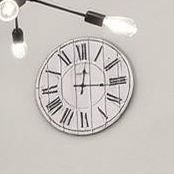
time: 12:15
